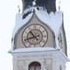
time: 10:42
